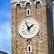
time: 1:56
